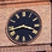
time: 3:42
